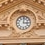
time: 3:01
